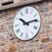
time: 10:13
